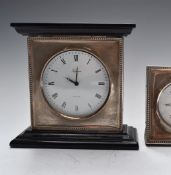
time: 10:00
